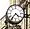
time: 4:36
